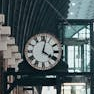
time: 4:02
